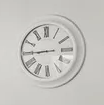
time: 8:44
